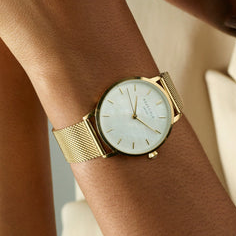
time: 12:20
